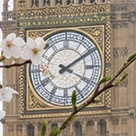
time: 4:09
